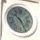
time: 10:25
